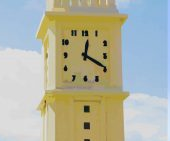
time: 12:19
